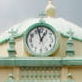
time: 12:57
